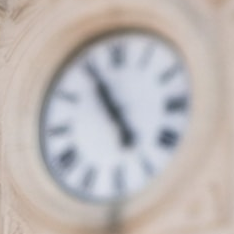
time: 4:55
